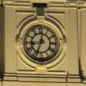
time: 8:33
